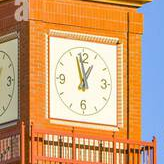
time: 12:57
